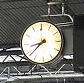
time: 8:38
